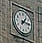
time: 1:15
